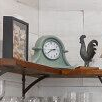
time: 2:38
